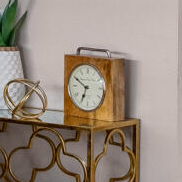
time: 6:50
